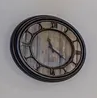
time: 11:21
